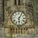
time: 6:05
